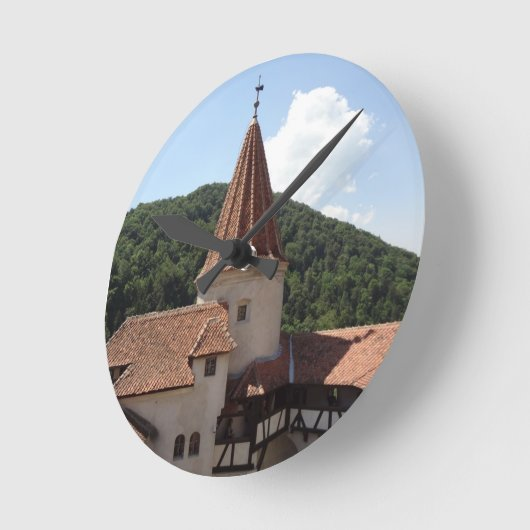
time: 12:07
